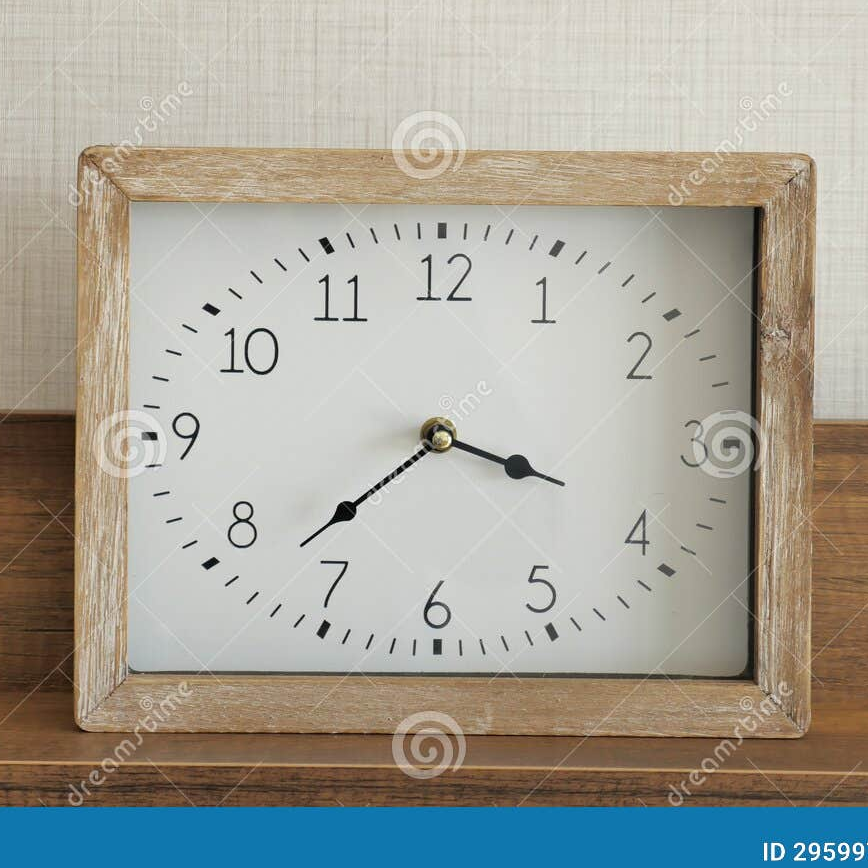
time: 3:37
